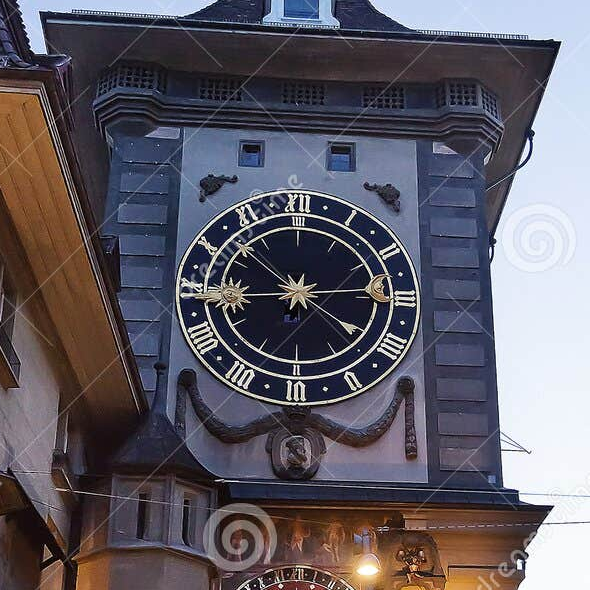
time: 6:43
